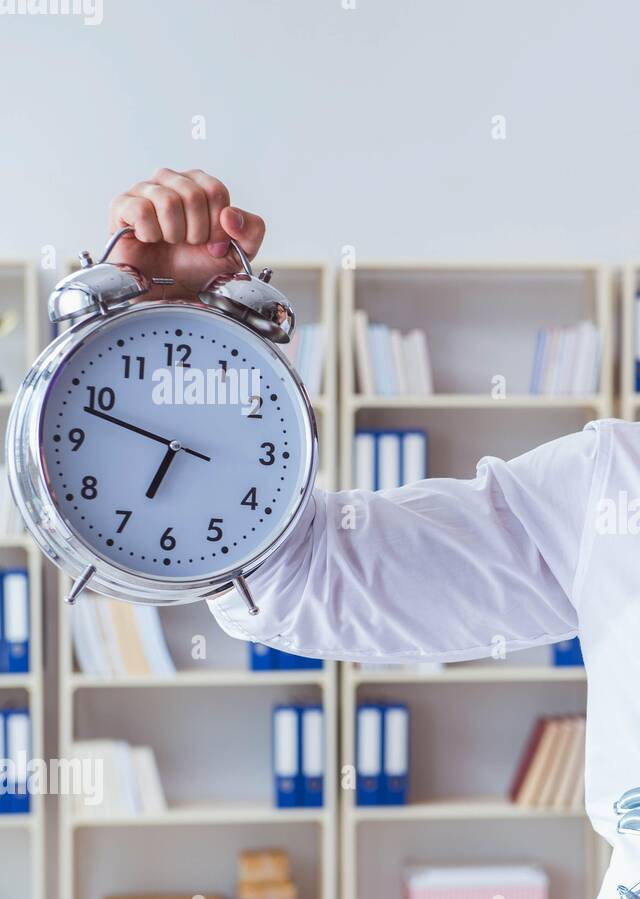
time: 6:48
